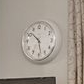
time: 10:28
